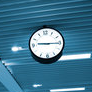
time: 9:15
